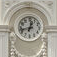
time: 12:42
